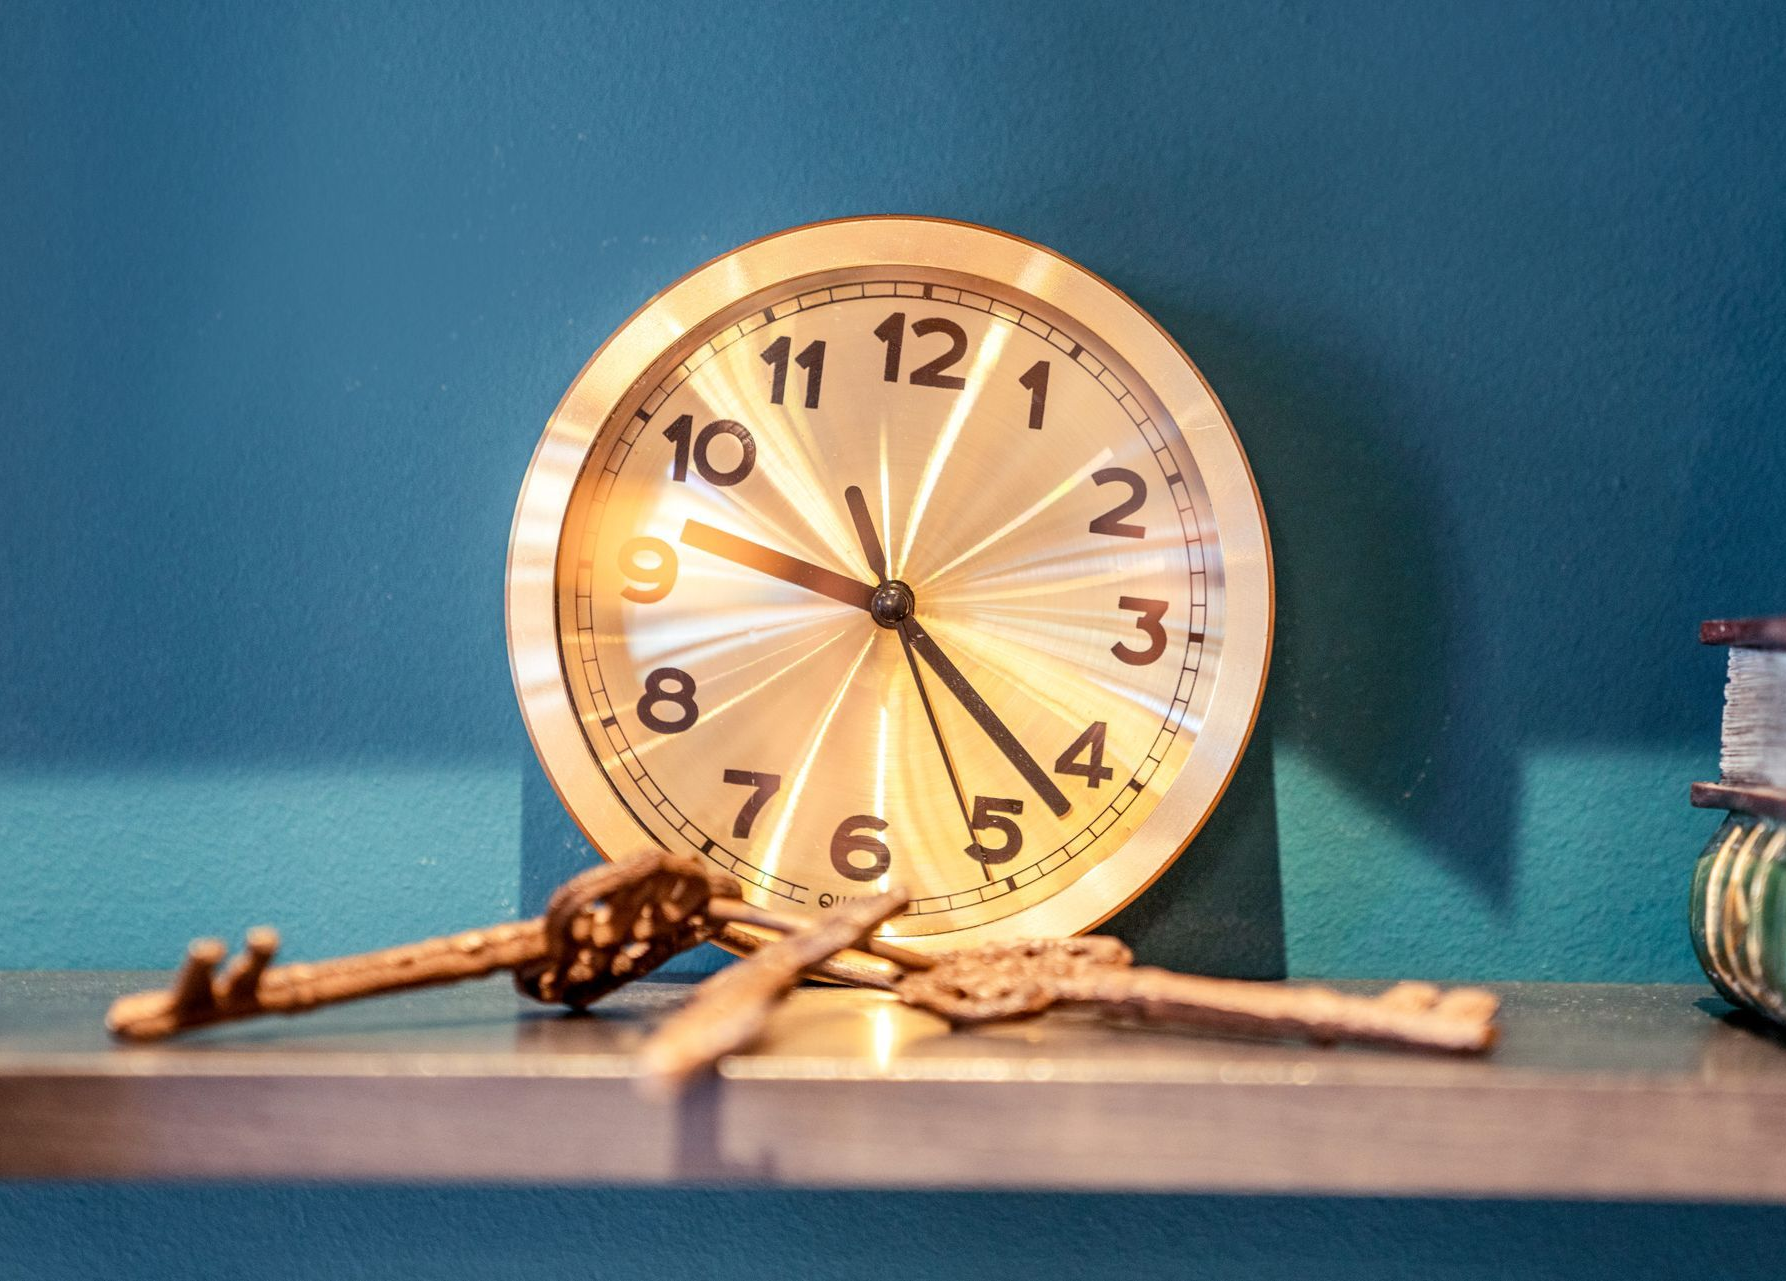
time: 9:22
